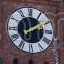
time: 1:59
